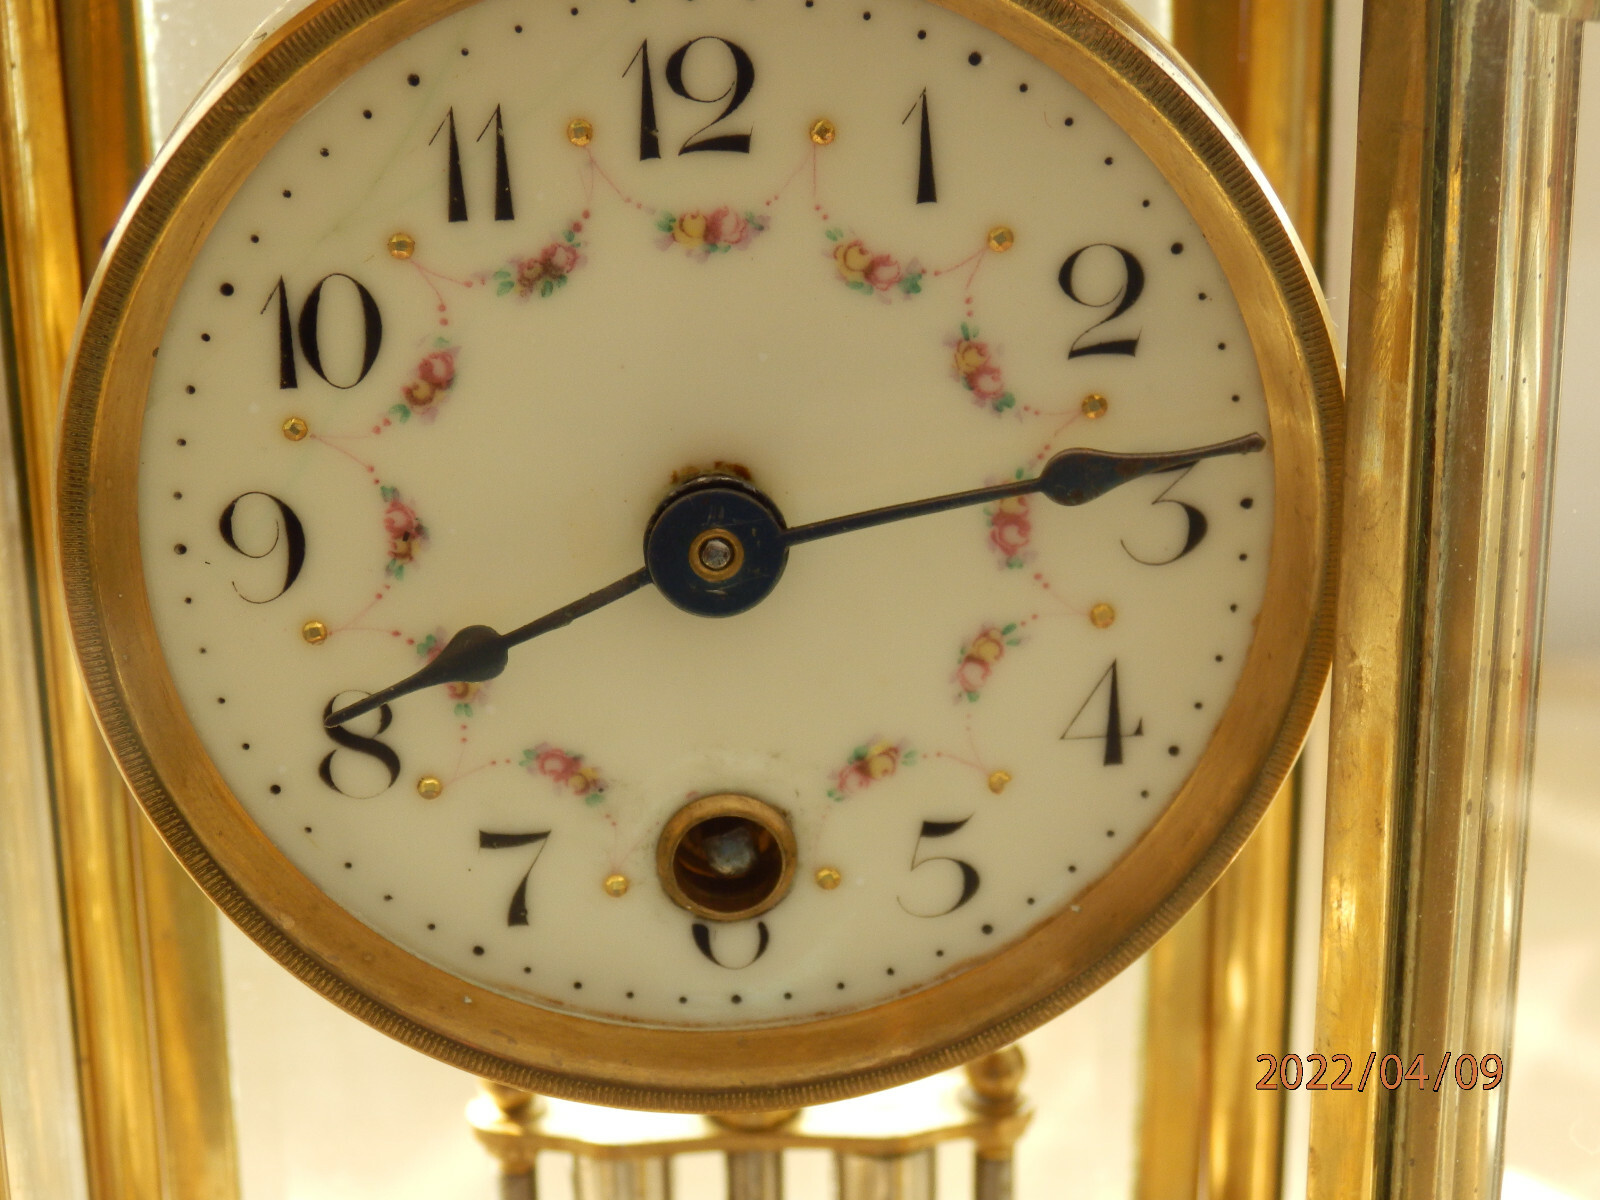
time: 2:40
